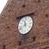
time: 11:41
